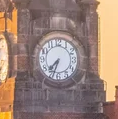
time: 7:33
